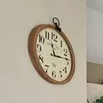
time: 11:13
